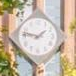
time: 1:46
